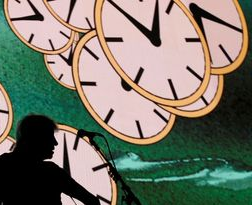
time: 12:52
